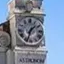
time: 1:33
